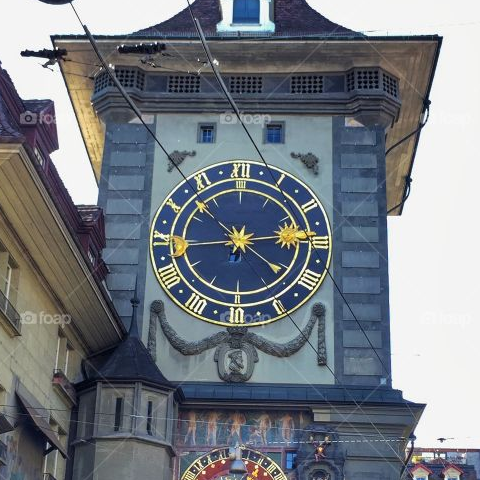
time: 2:44
